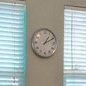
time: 1:10
